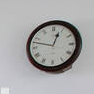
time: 12:47
